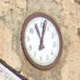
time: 11:02
